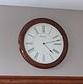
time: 4:12
